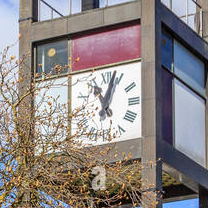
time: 11:02
